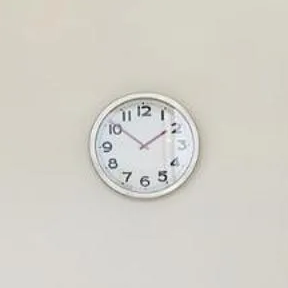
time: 1:51
